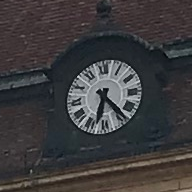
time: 6:23
